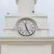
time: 11:25
